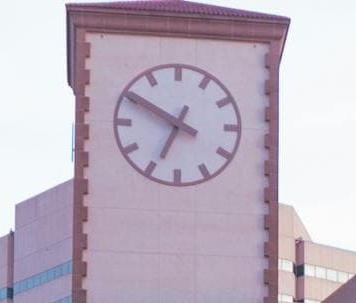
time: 6:49
